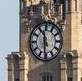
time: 11:30
